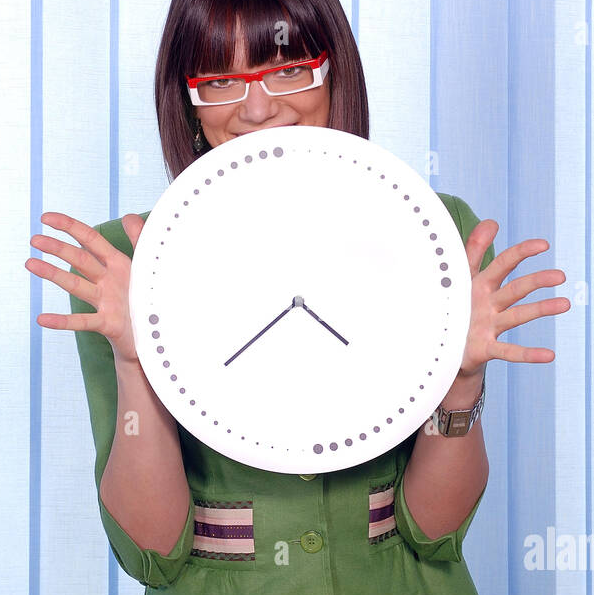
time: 4:39
